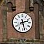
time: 2:27
